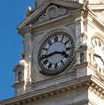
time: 3:43
